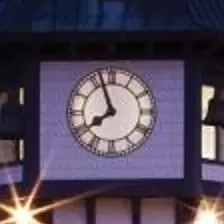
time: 7:56
